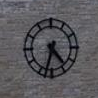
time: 4:32
